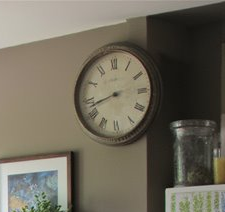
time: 2:42
